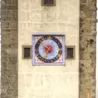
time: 9:34
